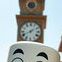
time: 1:41
